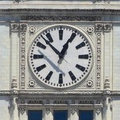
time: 12:52
